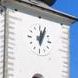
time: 12:03
